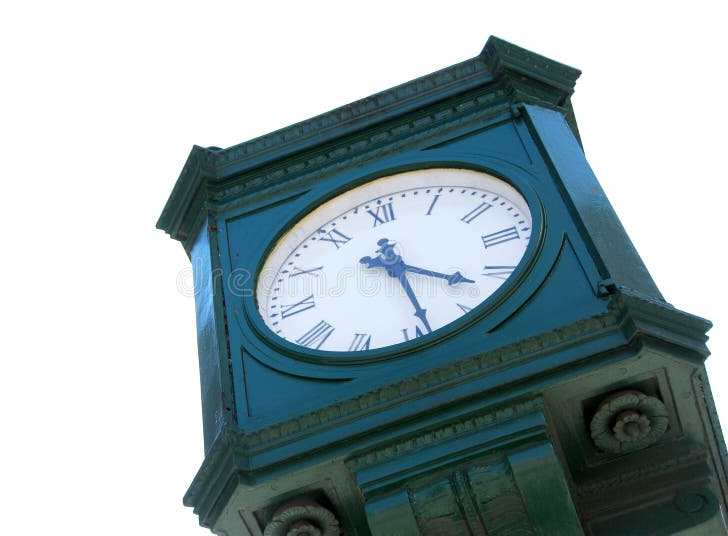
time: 11:21
